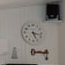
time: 5:17
